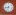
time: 8:32
